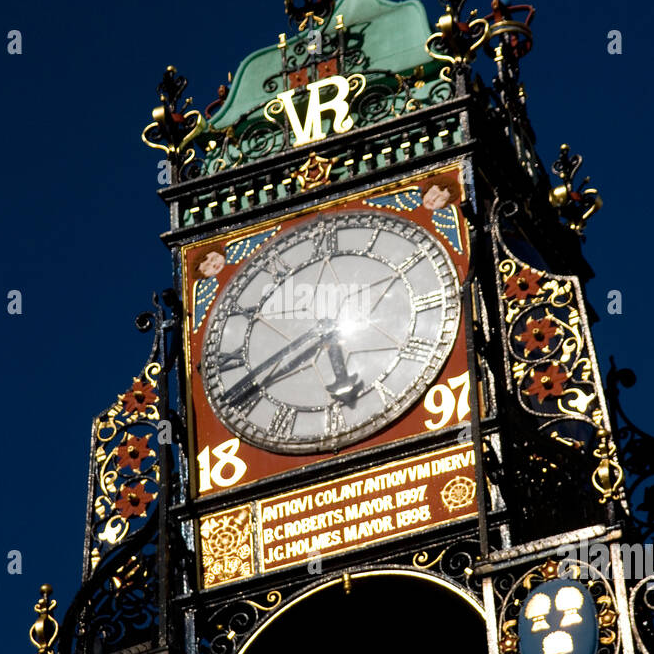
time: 5:40
